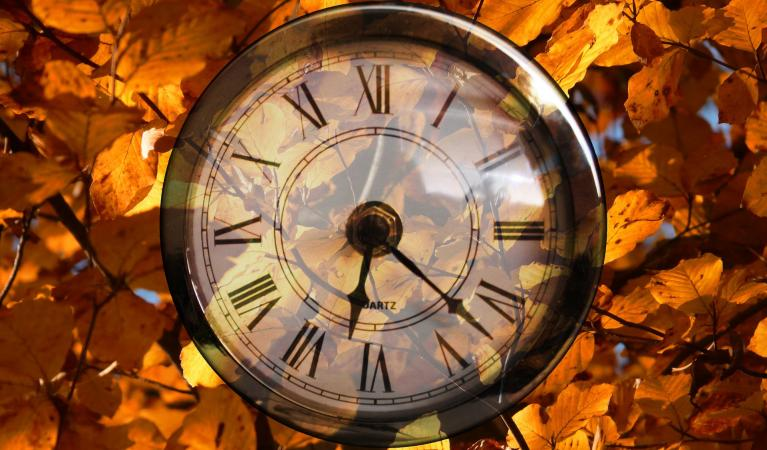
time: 6:22
